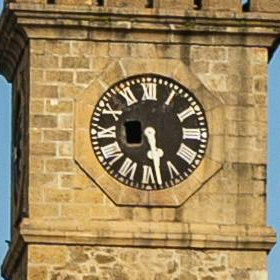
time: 5:28
